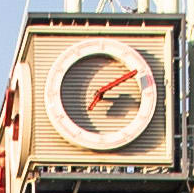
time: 3:10
